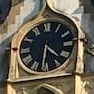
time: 4:31
